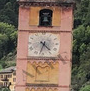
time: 4:32
